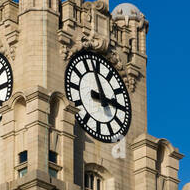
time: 2:56
